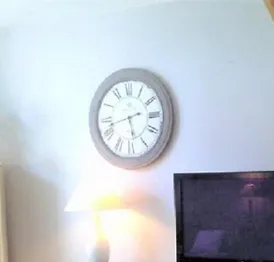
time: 5:42
